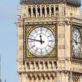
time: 11:46
